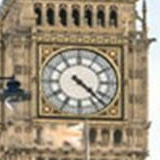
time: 4:22
